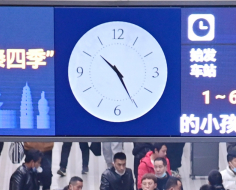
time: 10:25
